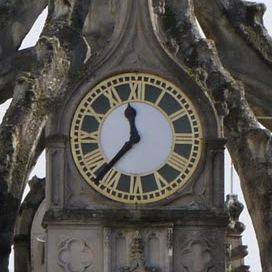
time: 11:36
